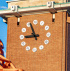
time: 8:56
